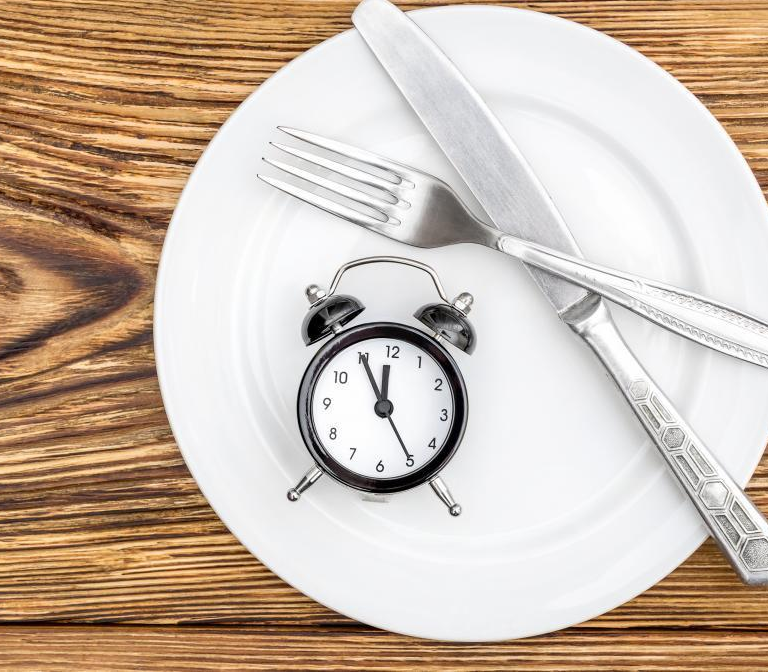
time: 11:55
